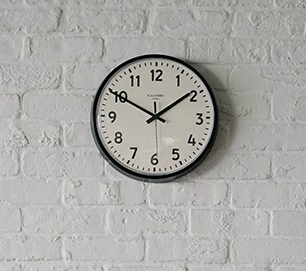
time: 1:50
